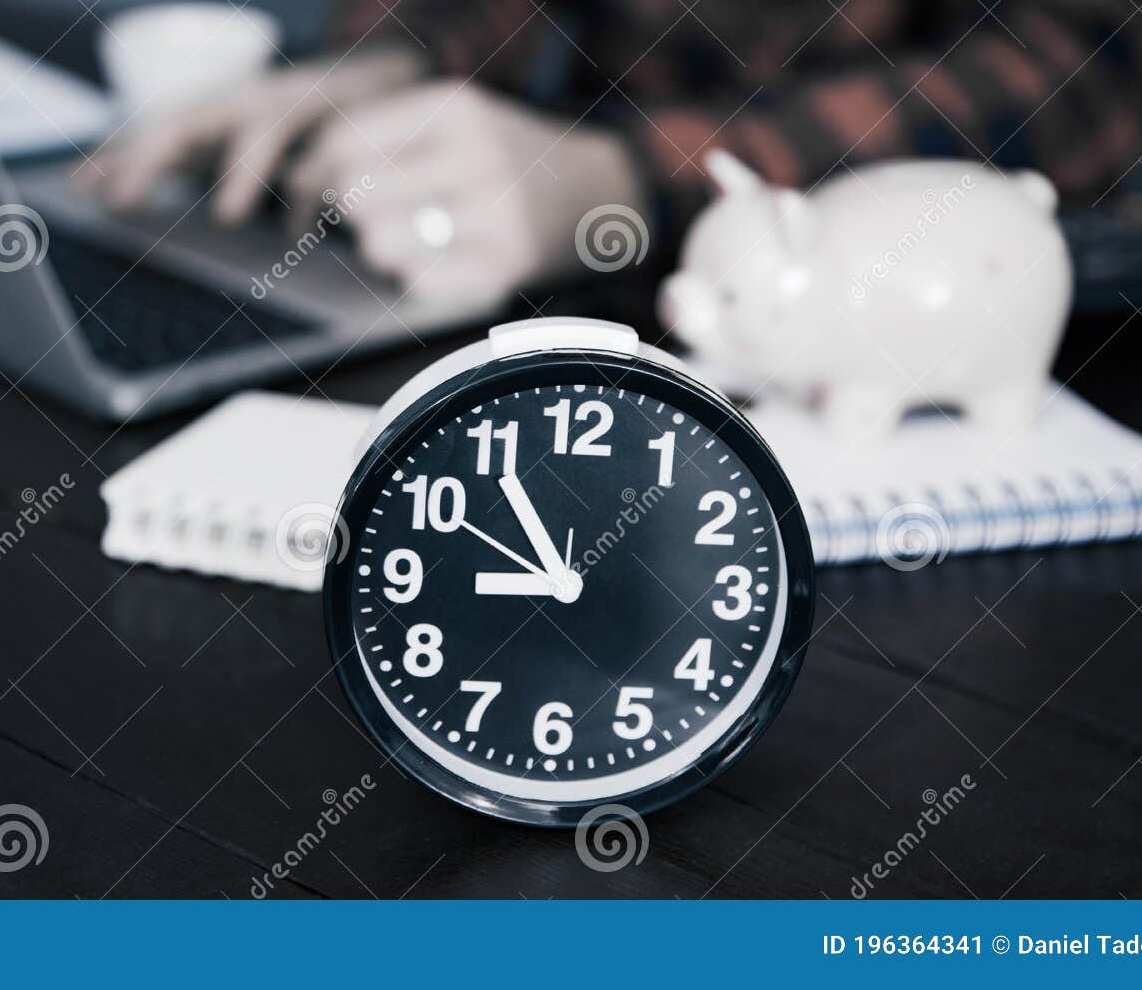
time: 8:54
